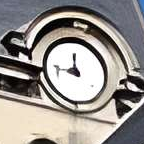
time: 11:46
